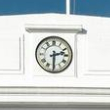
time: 2:30
